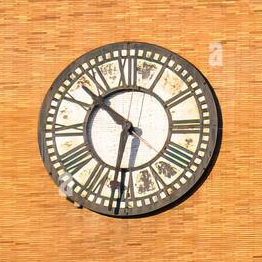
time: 10:32
